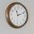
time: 11:11
